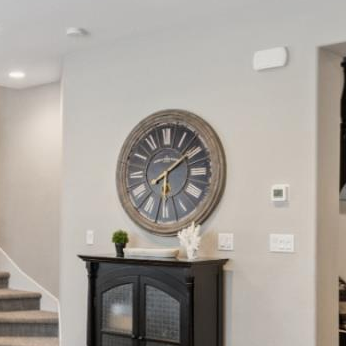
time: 6:08
